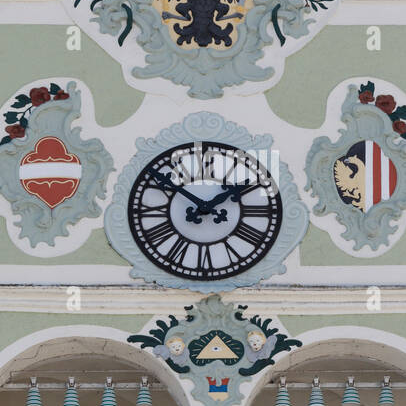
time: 1:51
